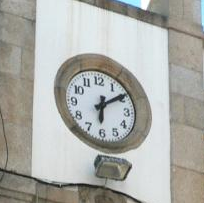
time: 6:09
